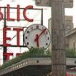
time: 6:07
